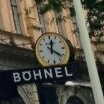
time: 12:21
